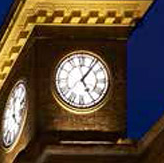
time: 5:06
